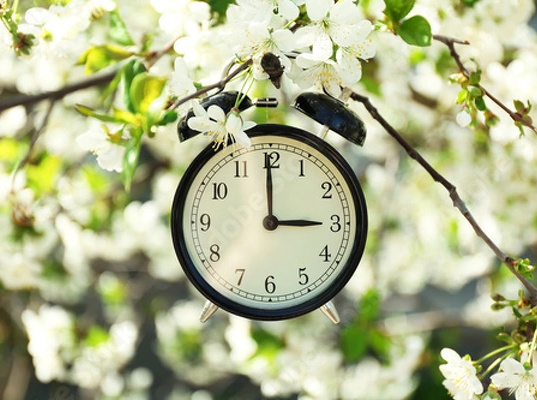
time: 2:59
